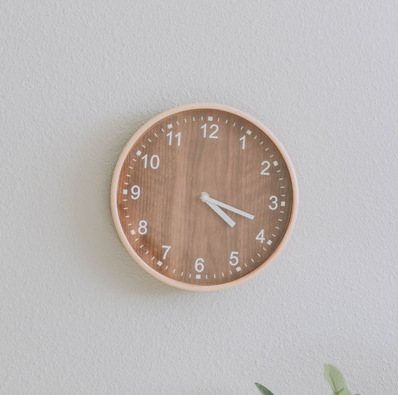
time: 4:18
